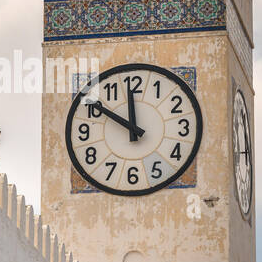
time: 11:50
